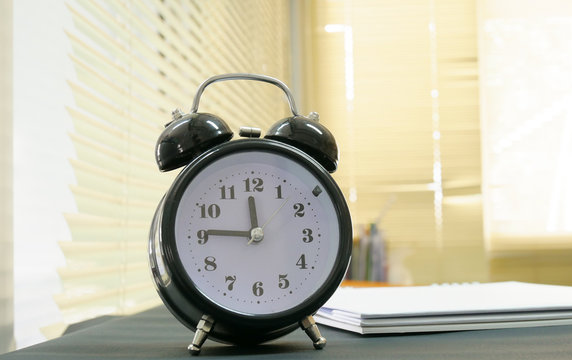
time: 11:45
